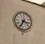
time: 3:34
